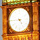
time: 4:45
